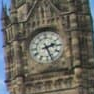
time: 2:26
